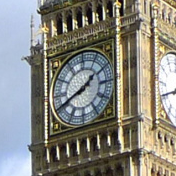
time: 1:41
